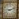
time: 9:12
